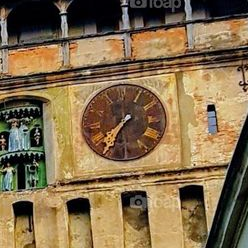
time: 7:35
